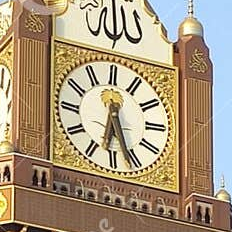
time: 6:26
